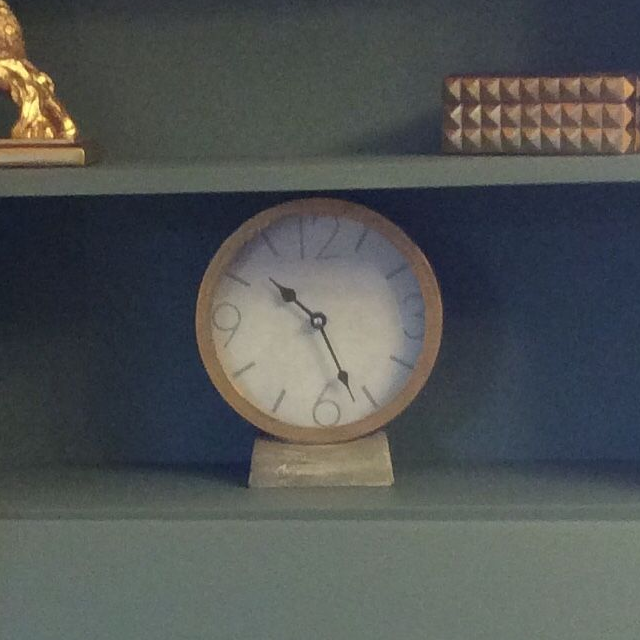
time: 10:26
